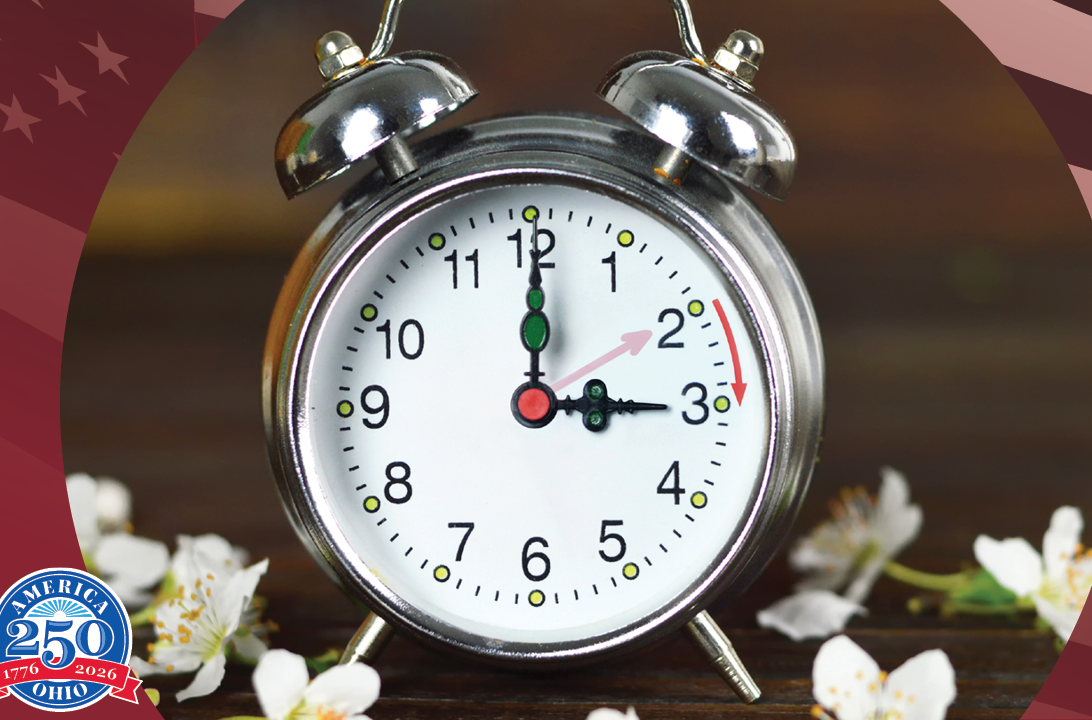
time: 3:00
